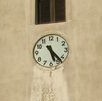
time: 5:23
